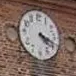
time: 4:18
